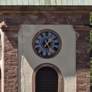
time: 1:24
